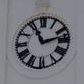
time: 11:12
